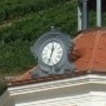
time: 12:33
